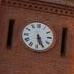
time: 5:26
